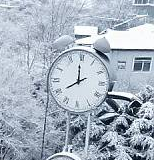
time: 7:59
